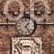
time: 1:24
